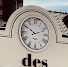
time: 10:11
